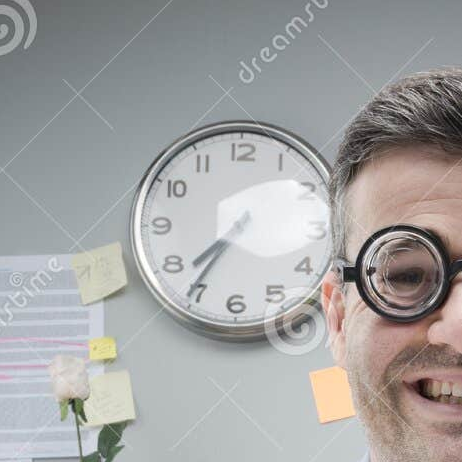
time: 7:35
